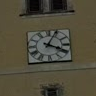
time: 4:04
